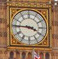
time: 3:45
